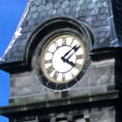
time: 4:09
